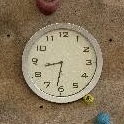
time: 8:31
